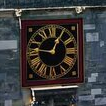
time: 12:46
